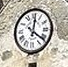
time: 12:21
